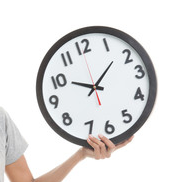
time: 10:08
